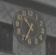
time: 10:34
